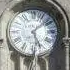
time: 5:08
